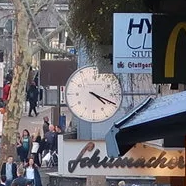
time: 4:19
